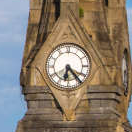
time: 6:23
